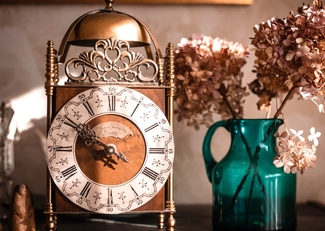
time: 9:50
